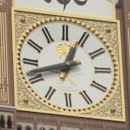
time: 12:42
